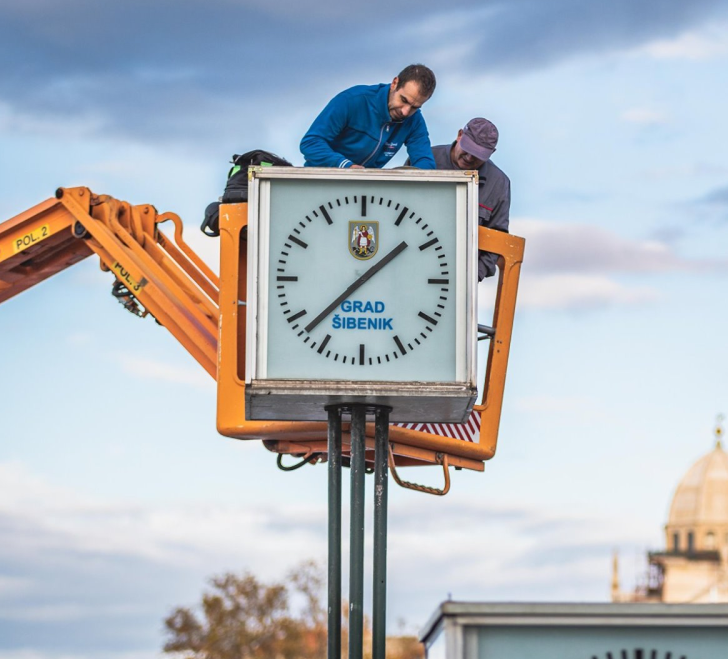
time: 1:37
